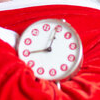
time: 9:04
